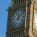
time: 12:07
